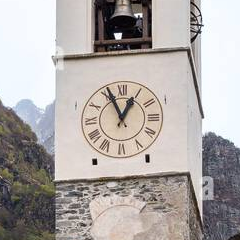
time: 12:55
